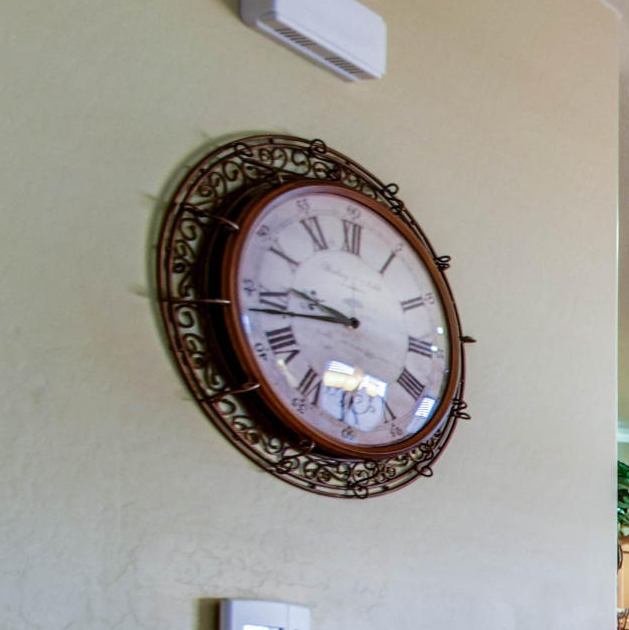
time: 9:43
